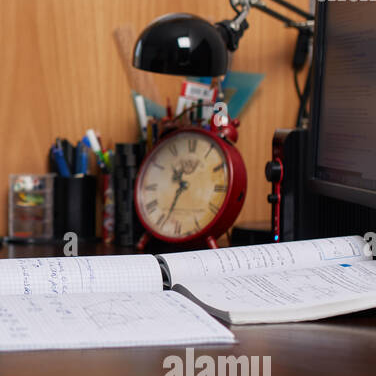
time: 10:33
